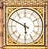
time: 5:49
